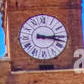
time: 3:17
